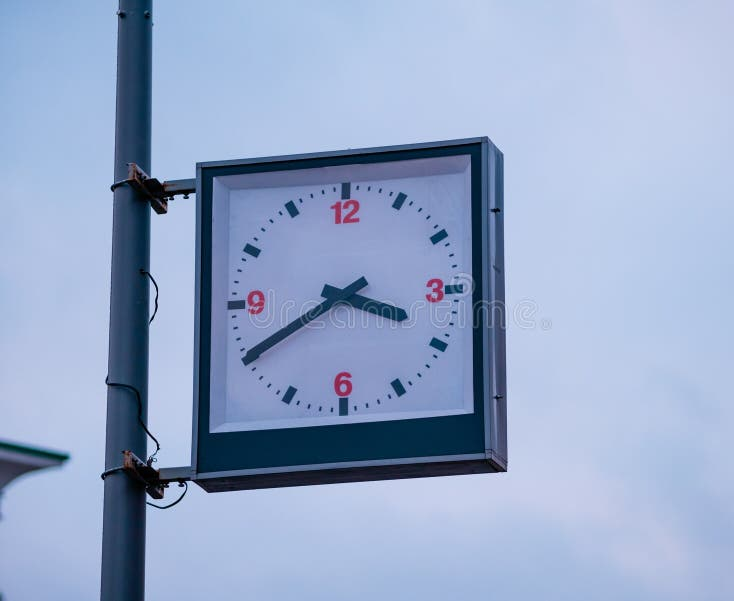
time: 3:40
